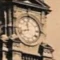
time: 11:41
